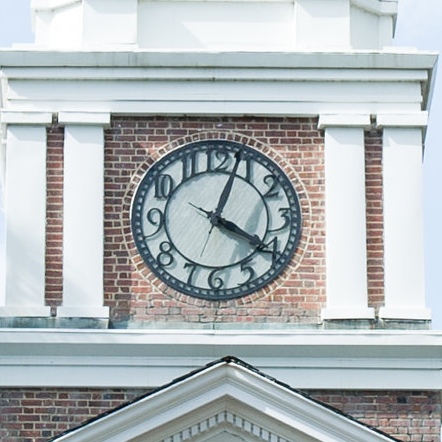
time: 4:03
